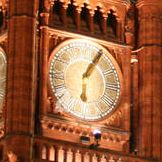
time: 6:05
